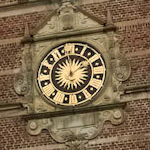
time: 12:07
